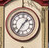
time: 1:35
